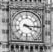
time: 4:15
